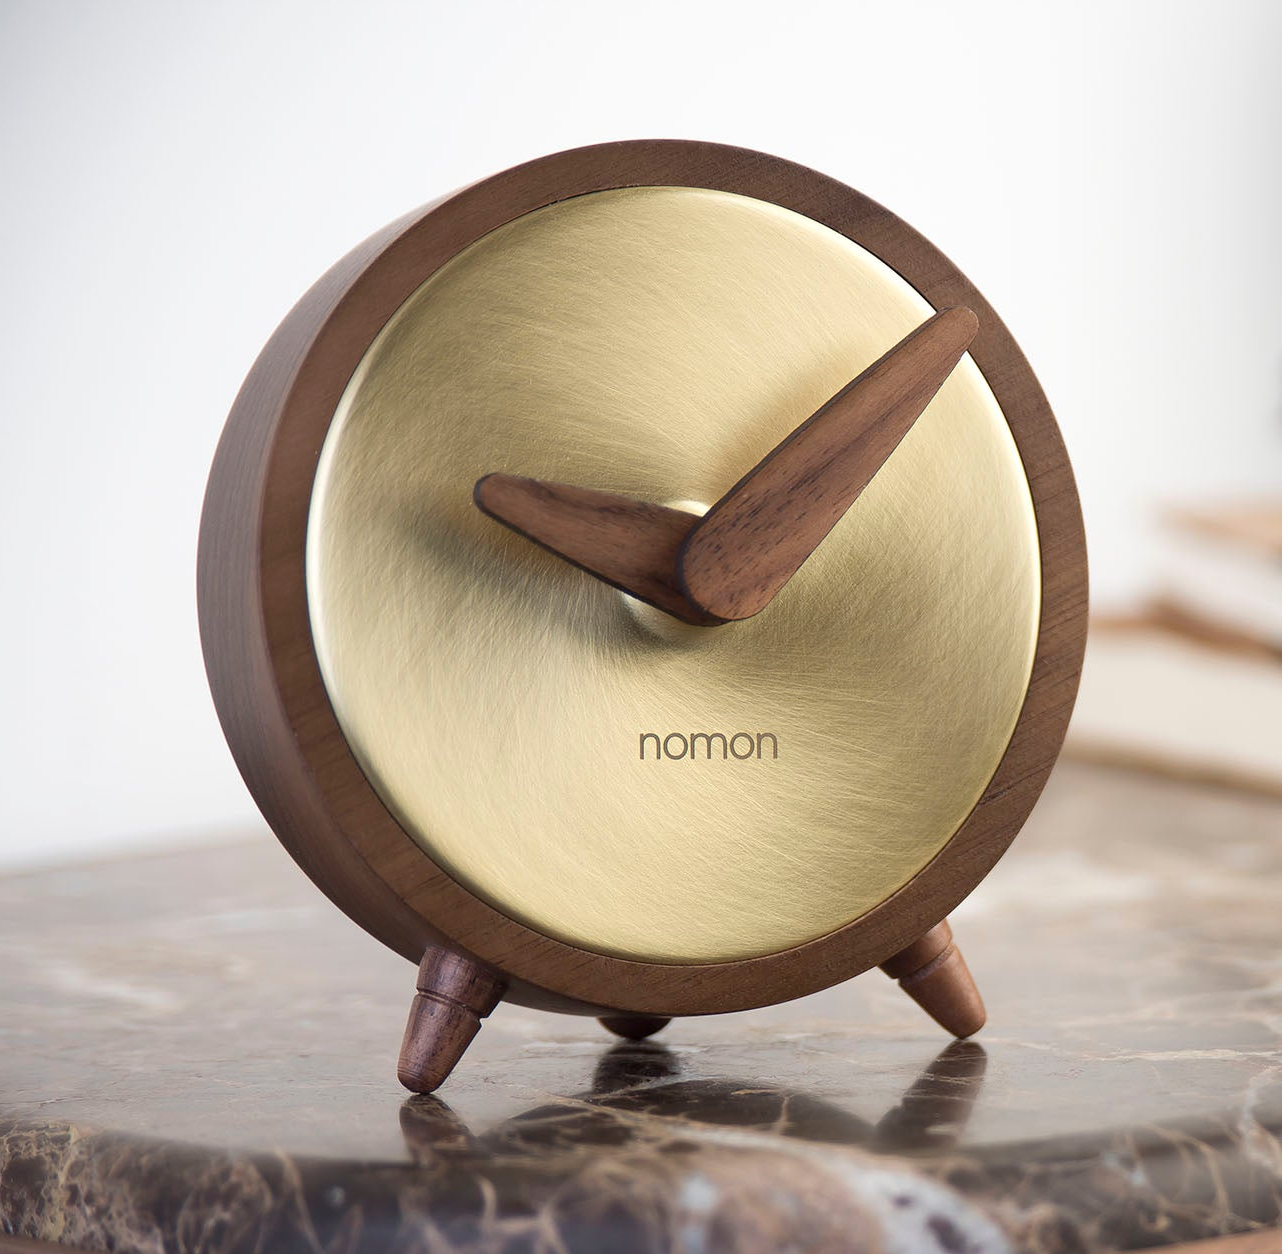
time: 9:08
